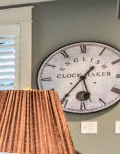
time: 5:36
